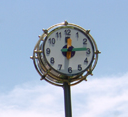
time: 12:14
